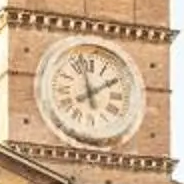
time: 1:57
